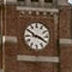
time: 3:50
